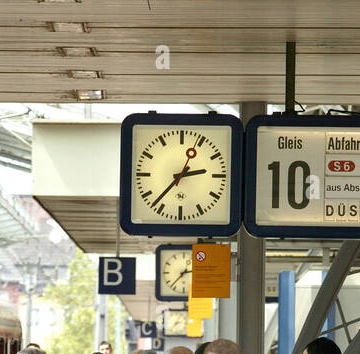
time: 2:37
